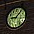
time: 9:07
